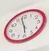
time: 5:58
